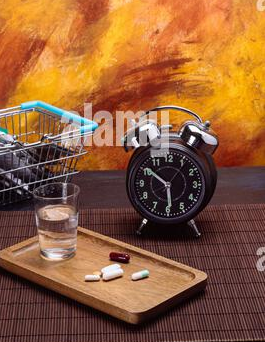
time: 5:51
